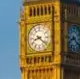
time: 8:21
